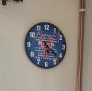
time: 4:21
